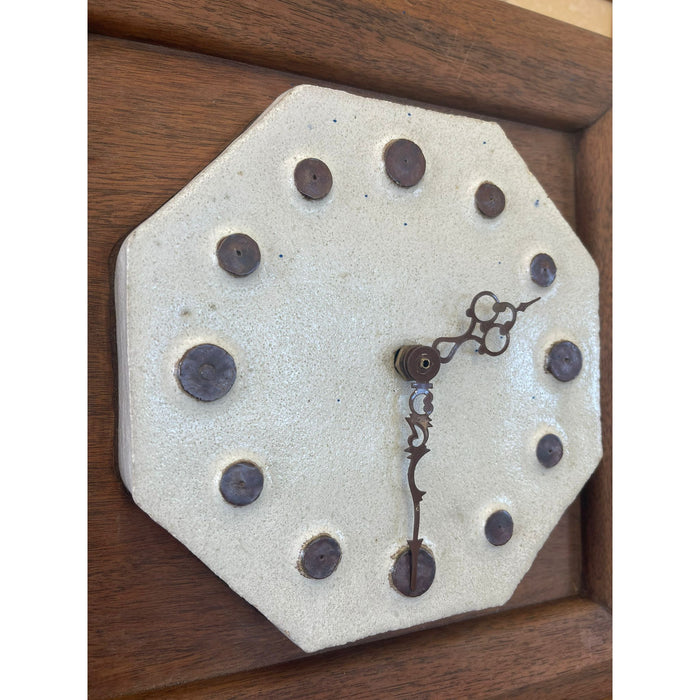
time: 2:30
